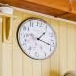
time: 1:17
